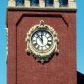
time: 11:52
